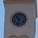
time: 10:32
